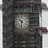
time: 10:32
